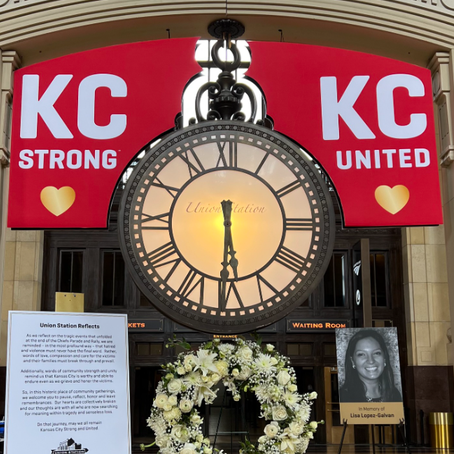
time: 5:30
